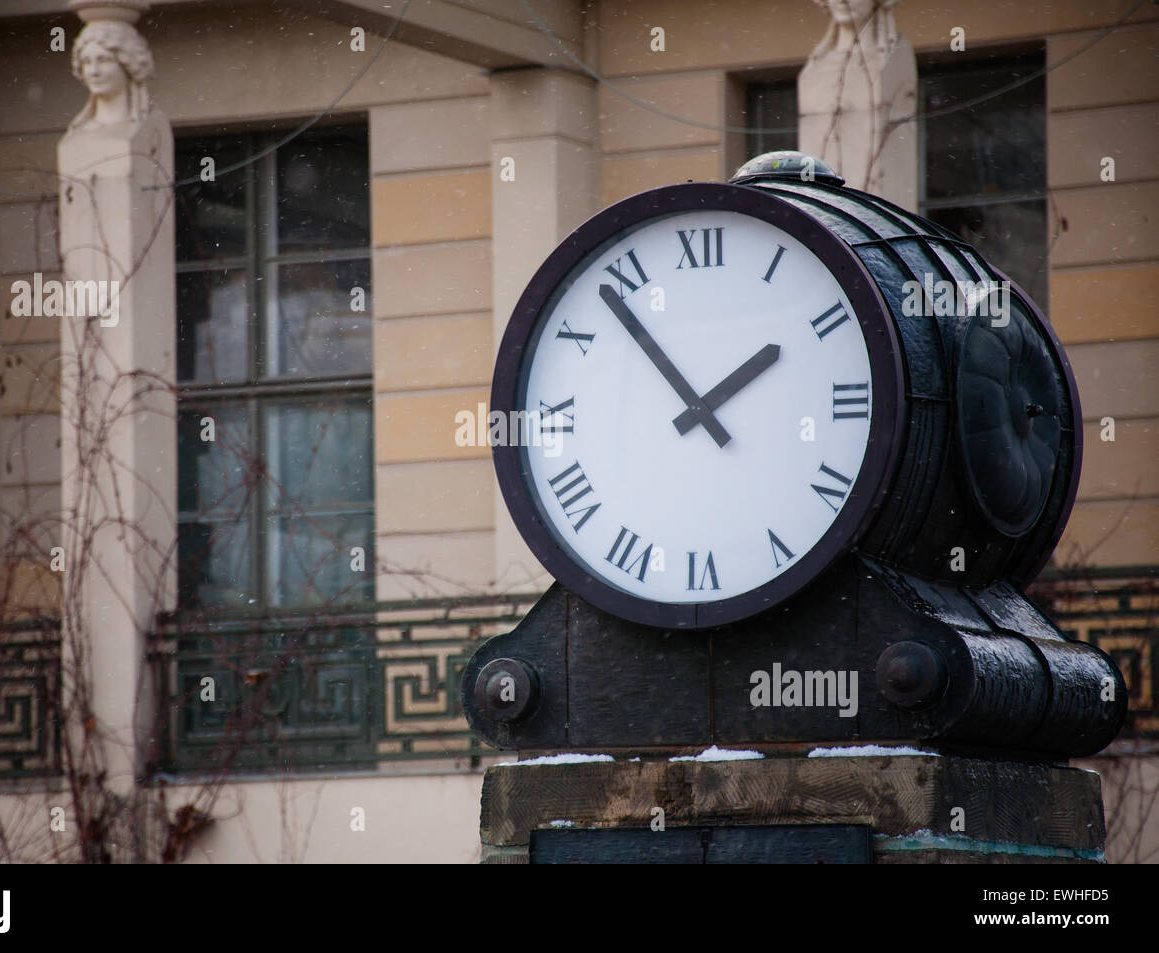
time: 1:53
